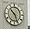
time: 10:26
